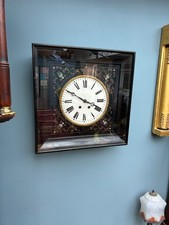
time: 3:50
